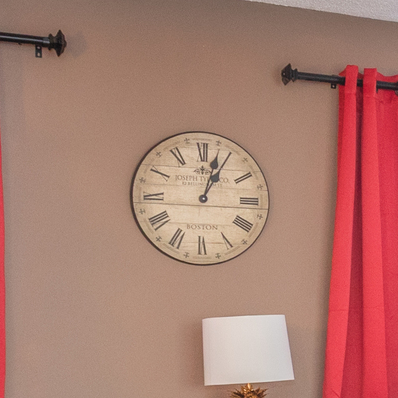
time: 1:03
